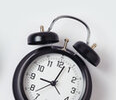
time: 9:02
